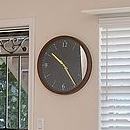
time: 10:24
